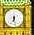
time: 6:28
